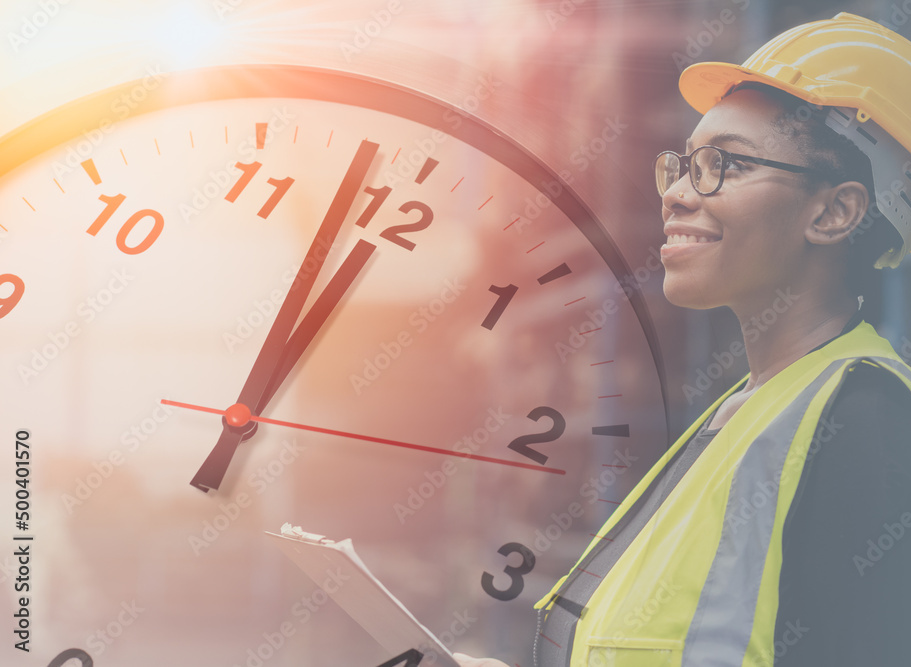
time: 1:03
